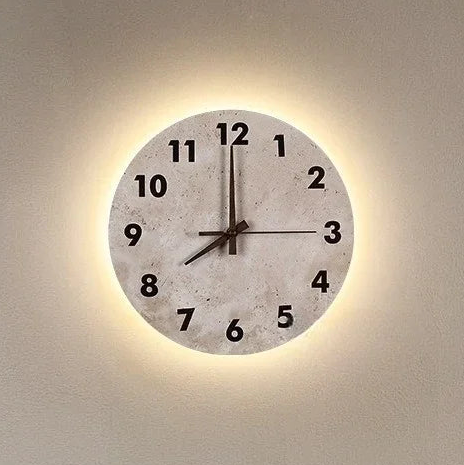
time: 7:59
